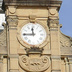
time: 11:44
